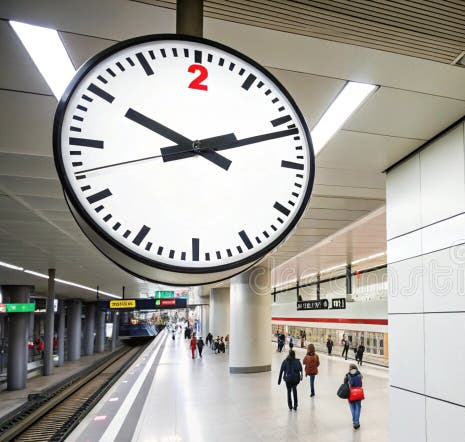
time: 10:11
